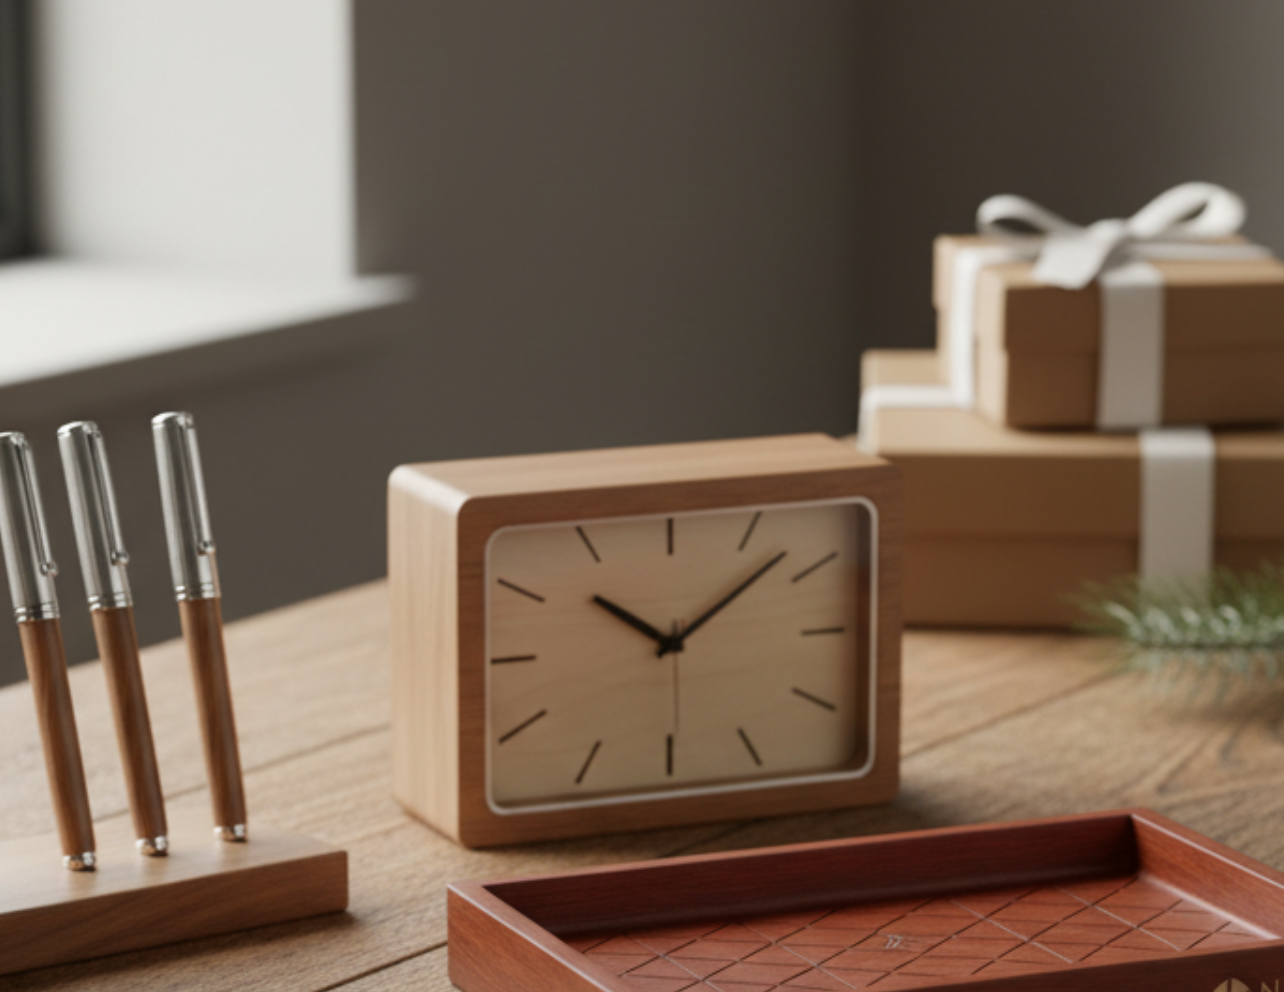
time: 10:07
